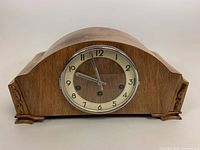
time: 9:57
